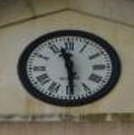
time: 11:29
